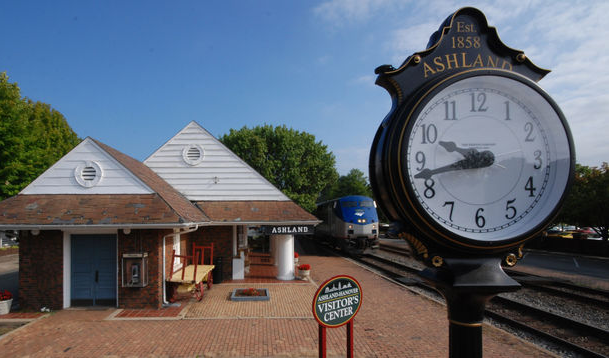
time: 9:42
